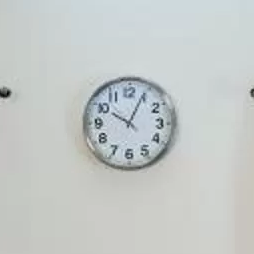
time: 10:04
